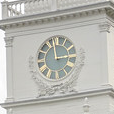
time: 2:58
